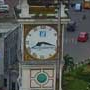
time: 8:17
